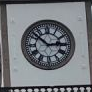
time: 2:52
